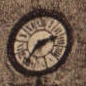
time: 2:35
